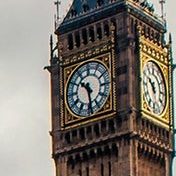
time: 10:28
